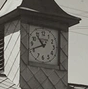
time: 10:41
